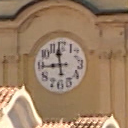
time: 11:44
